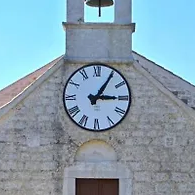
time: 3:05
